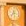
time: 7:28
